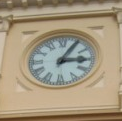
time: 3:04
